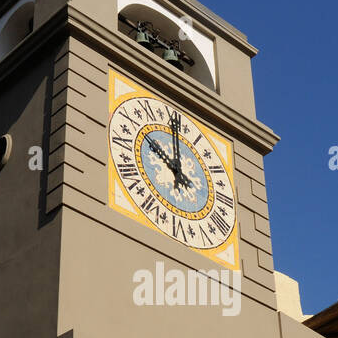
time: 10:00
